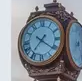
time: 7:21
